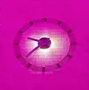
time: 9:38
